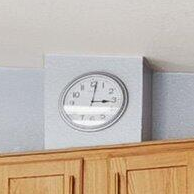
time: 3:01
